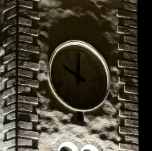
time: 10:00
